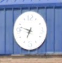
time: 6:47
